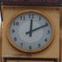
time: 12:10
